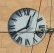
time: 12:40
